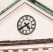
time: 4:40
